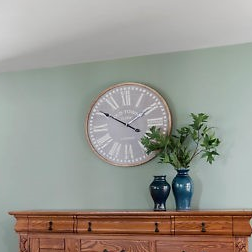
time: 1:50
